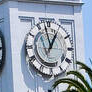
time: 12:58
